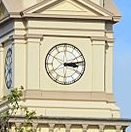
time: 3:13
